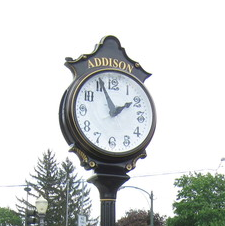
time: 1:56
